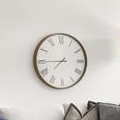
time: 7:44
